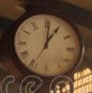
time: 1:01
